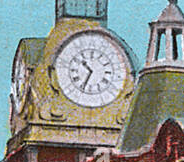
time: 10:34
